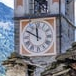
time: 11:49
